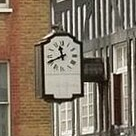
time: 11:42
